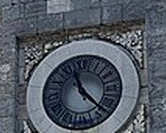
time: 11:22
